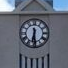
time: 6:29
